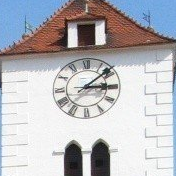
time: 3:08
